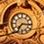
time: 7:15
